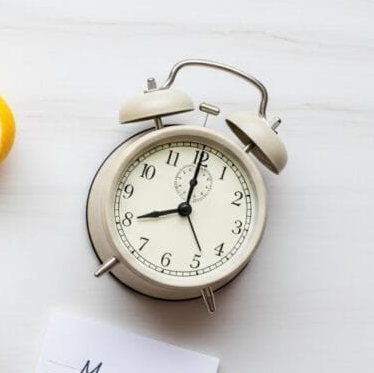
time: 8:00
